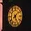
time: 5:08
